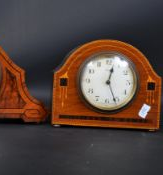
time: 12:26
